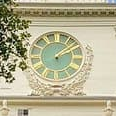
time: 2:08
